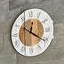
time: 12:20
